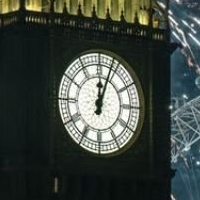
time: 12:03
